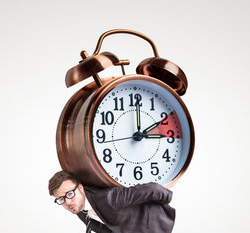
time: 2:00
